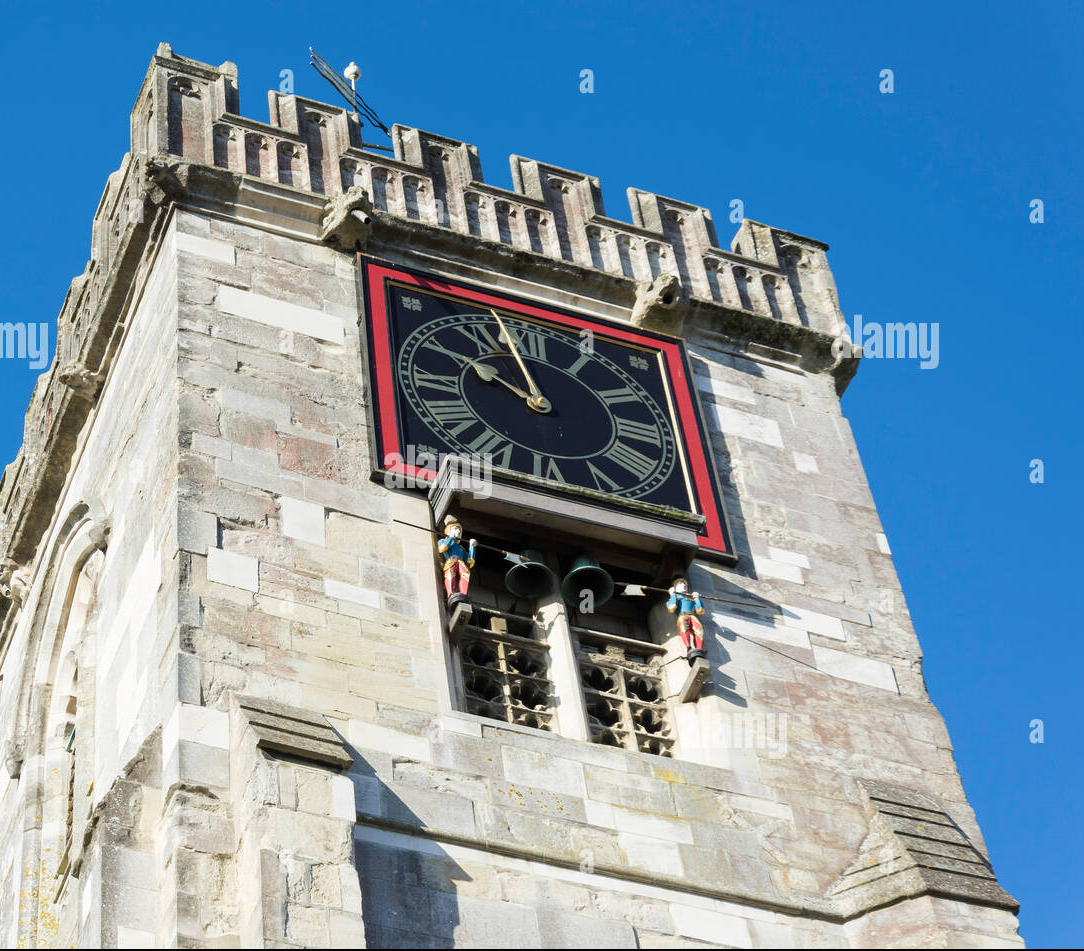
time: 9:57
